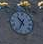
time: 10:34
